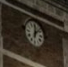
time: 12:07
